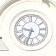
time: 9:33
